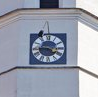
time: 3:44
